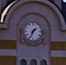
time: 1:34
